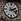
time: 2:18
